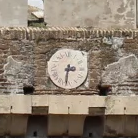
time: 3:31
